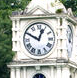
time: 12:49
